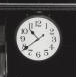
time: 10:38
